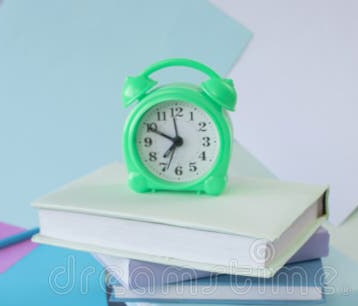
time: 7:49
